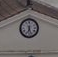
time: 6:27
